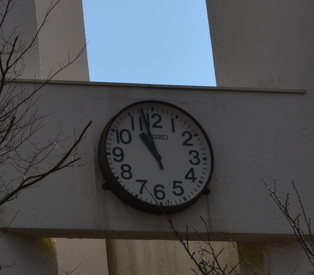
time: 10:57
